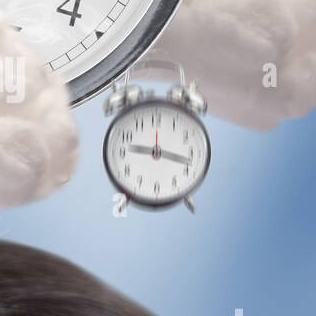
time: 9:17
